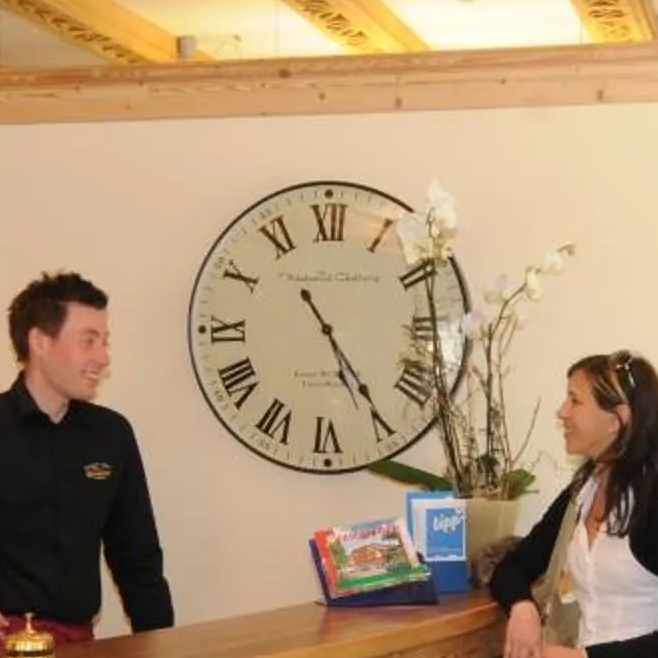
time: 5:24
